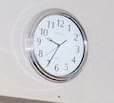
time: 9:34
